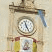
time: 11:25
